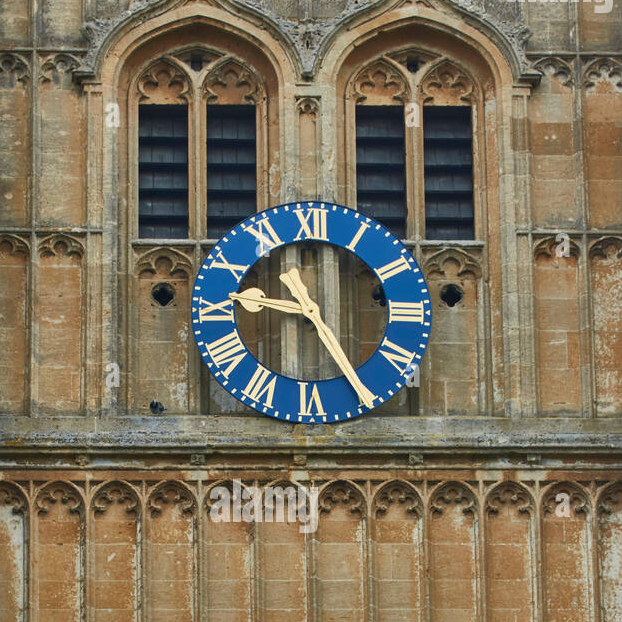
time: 9:24
